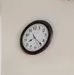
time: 8:23
